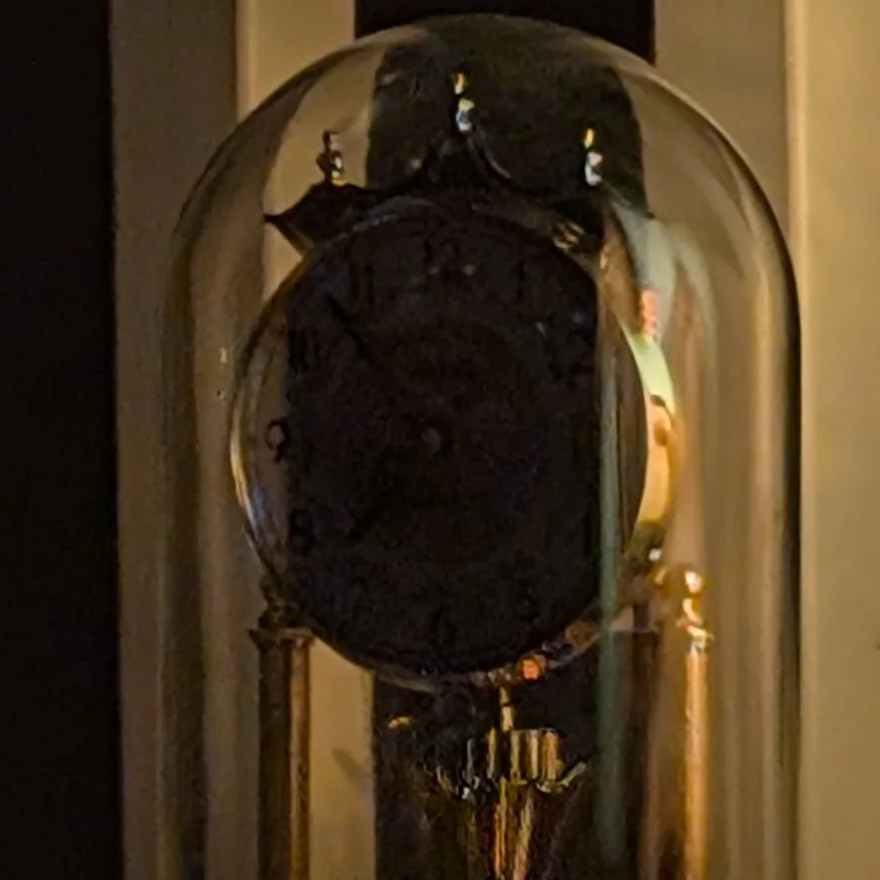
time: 7:52
